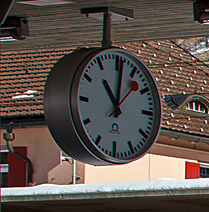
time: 11:01
